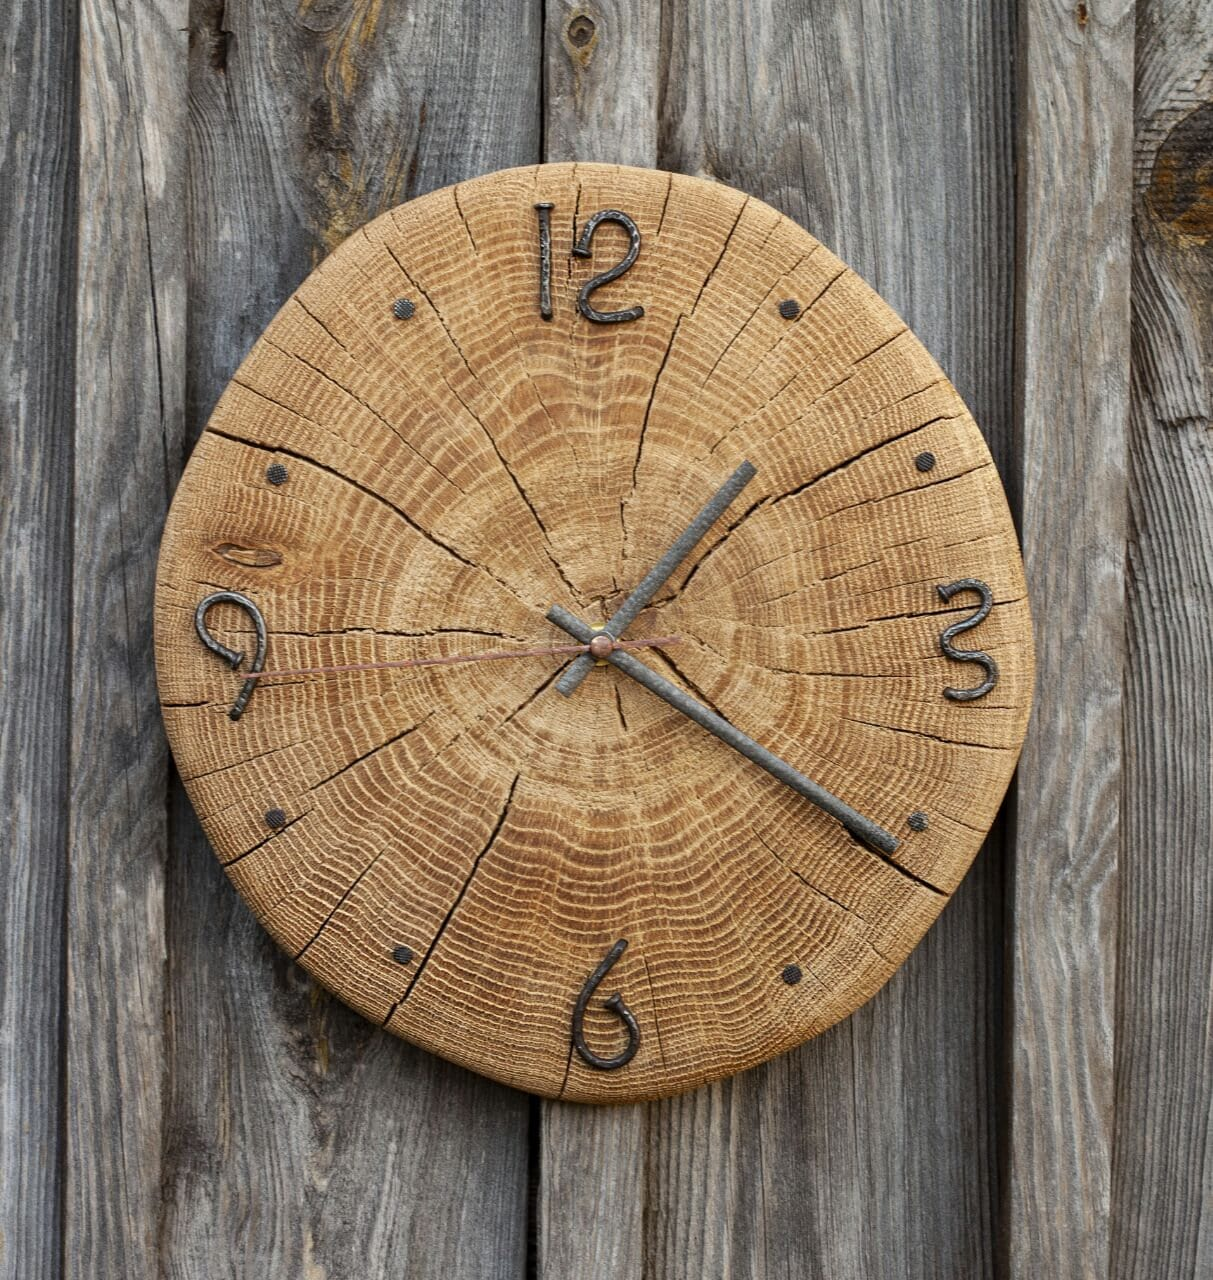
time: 1:20
